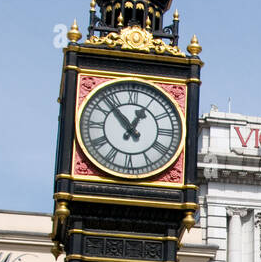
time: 12:53
